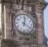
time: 12:19
